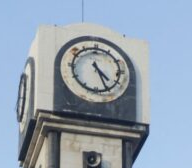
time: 4:26
